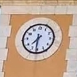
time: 7:30
